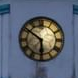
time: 5:51
